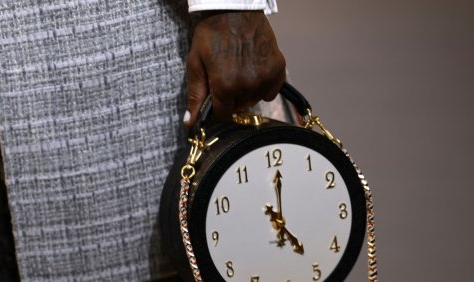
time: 5:00
